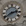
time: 2:39
